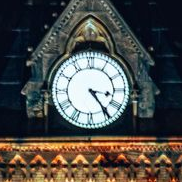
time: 3:24
